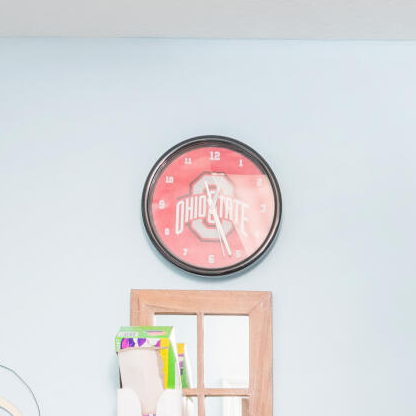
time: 11:26
